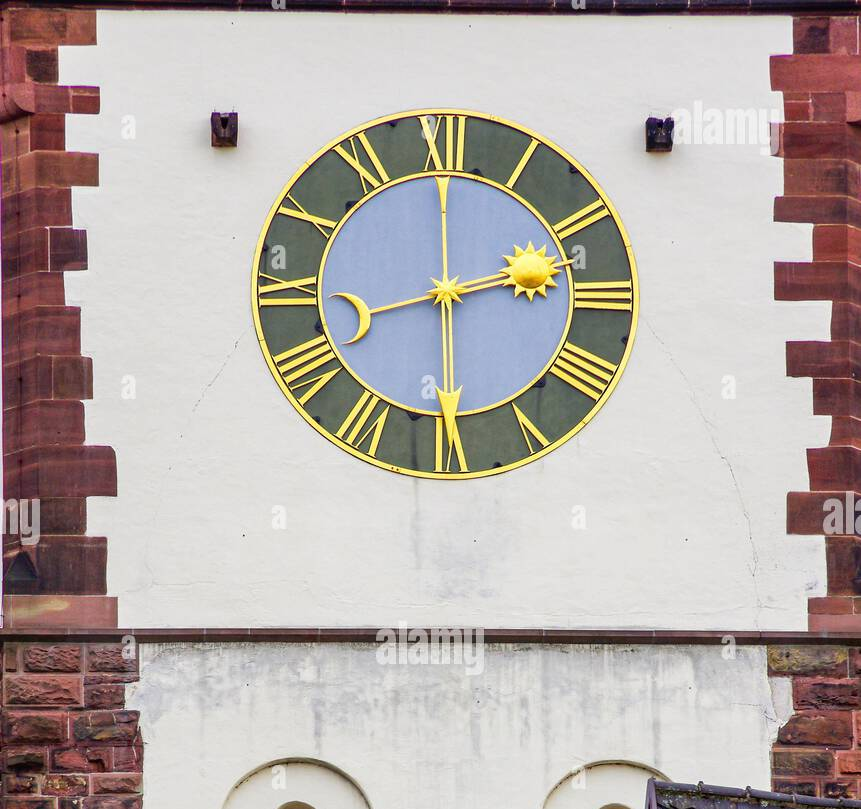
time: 2:29
